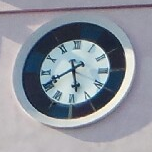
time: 5:40
